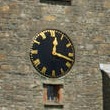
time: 12:18
